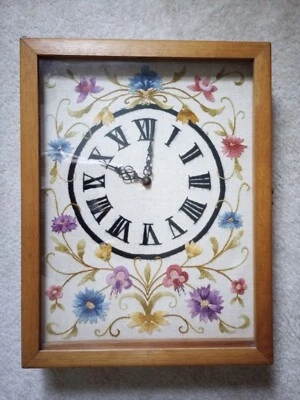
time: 10:01
